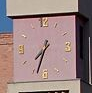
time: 7:33
